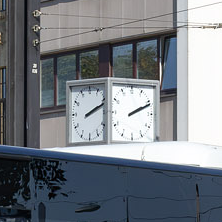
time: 2:11
